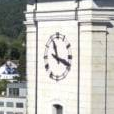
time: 11:18
